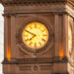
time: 7:49
